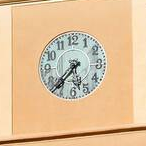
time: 5:37
